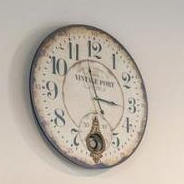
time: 2:58
